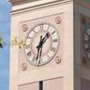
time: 1:32
